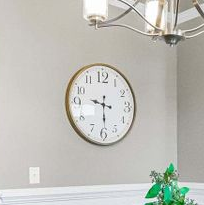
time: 9:29
